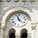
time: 11:22
